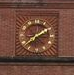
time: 1:37
